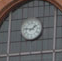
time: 1:46
